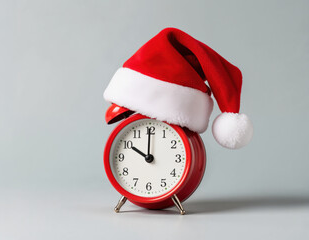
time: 10:00
